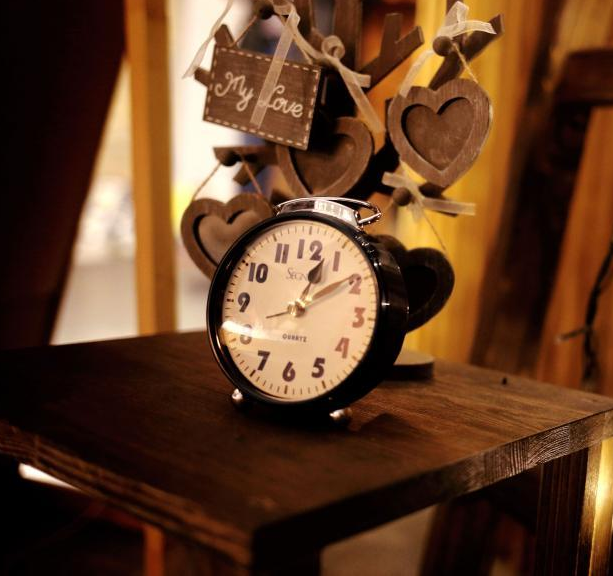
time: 1:09
